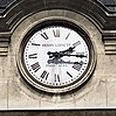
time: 2:15
